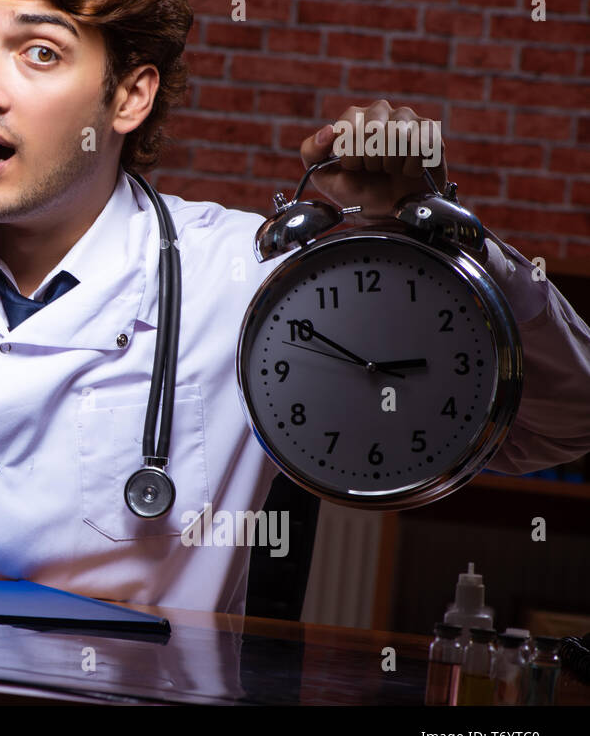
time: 2:50
